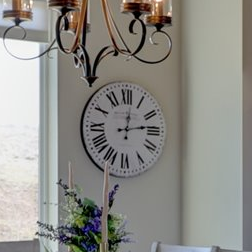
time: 12:13
